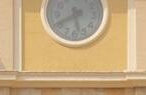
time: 5:40
